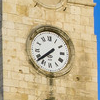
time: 7:38
